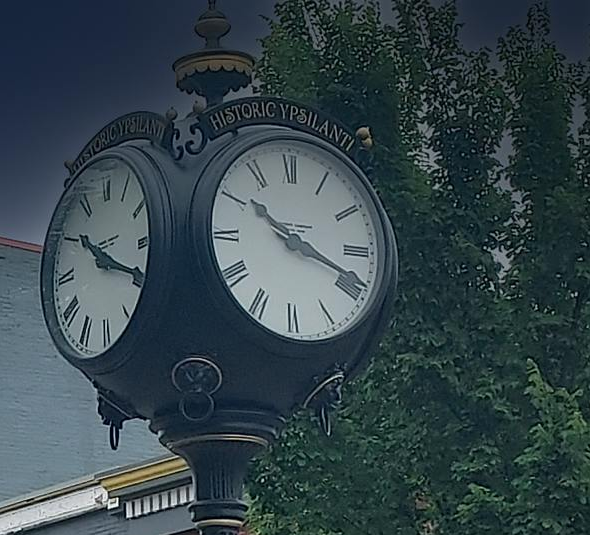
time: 10:18
